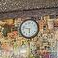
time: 5:47
